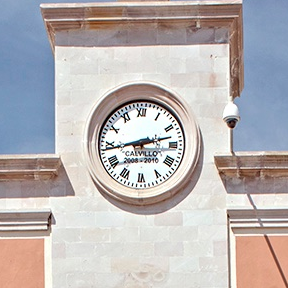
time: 2:43
